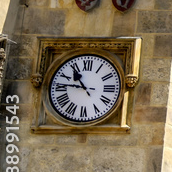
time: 10:45
